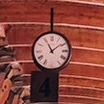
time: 11:08
